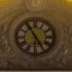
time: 4:54
